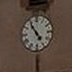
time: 4:54
